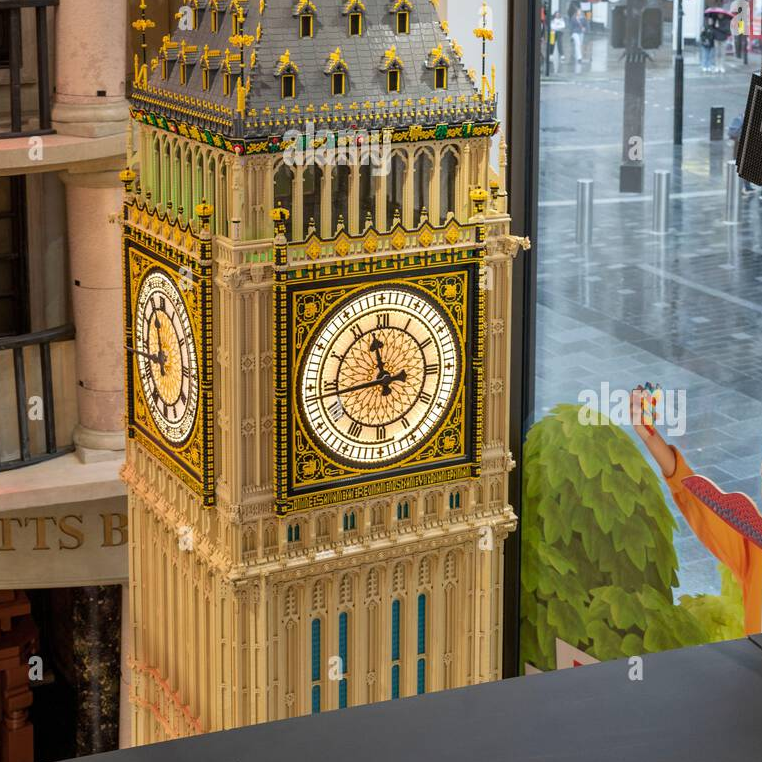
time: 11:43
